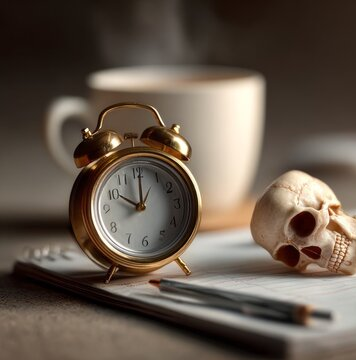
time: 10:00
